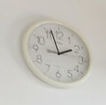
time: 1:57
